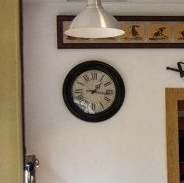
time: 1:16
